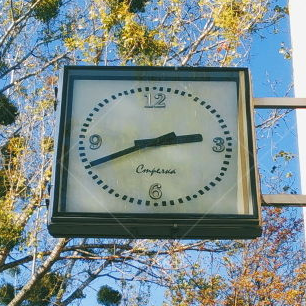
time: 2:40
